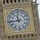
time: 11:43
